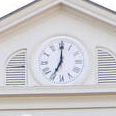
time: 7:00
